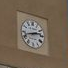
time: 2:42
